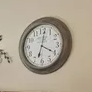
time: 4:01
